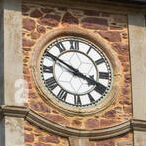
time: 3:50
